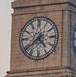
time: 4:38
